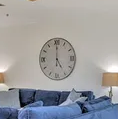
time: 5:00
